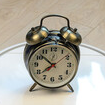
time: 7:52
